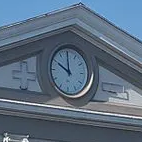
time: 9:59
